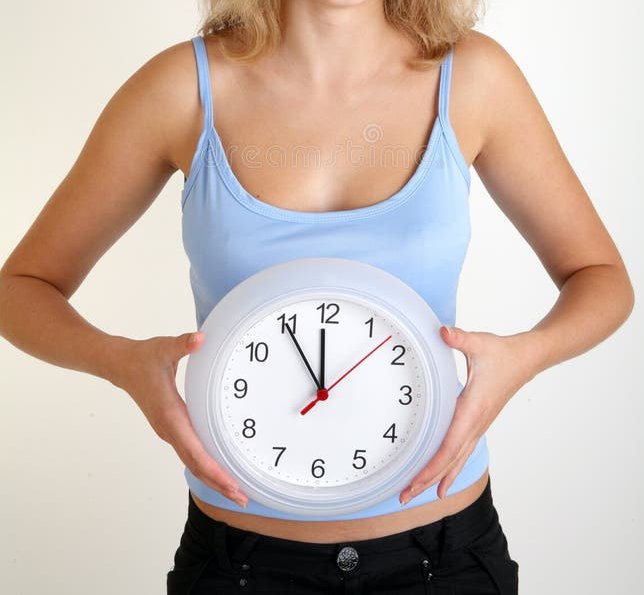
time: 11:54
